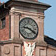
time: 9:20
